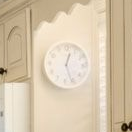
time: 12:26
